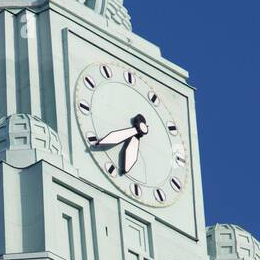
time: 6:38
